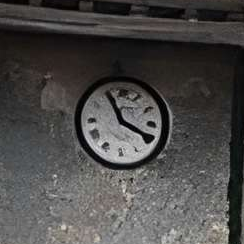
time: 3:55
